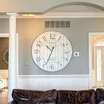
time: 10:34
